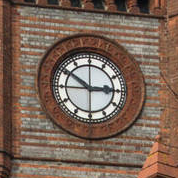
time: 2:50
